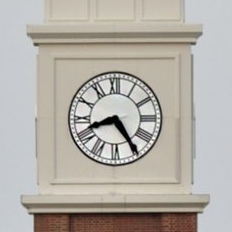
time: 8:24
